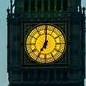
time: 7:00
